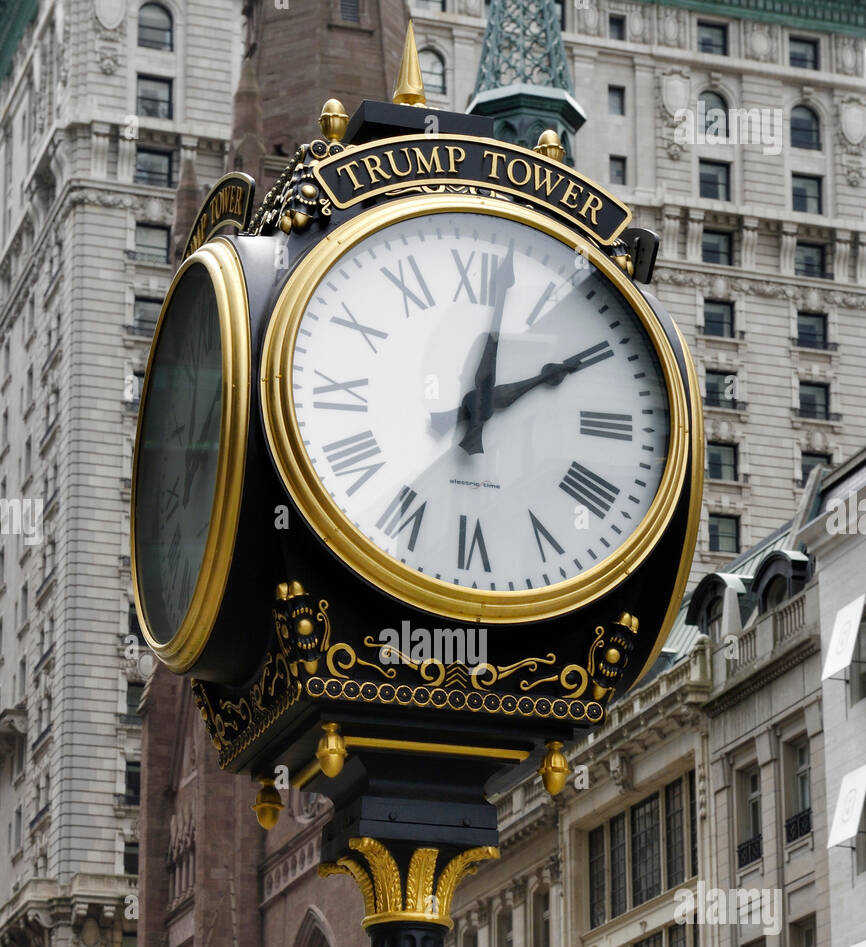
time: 12:09
